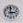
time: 2:59
